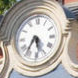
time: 5:35
